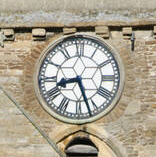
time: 8:26
